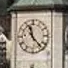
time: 11:22
